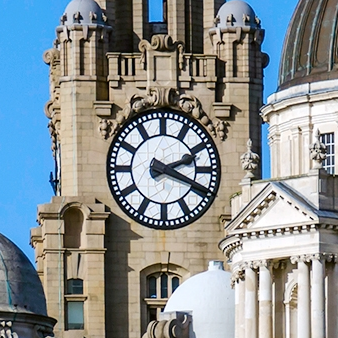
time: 2:18
